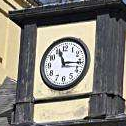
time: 11:15
